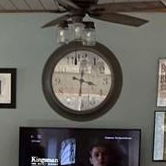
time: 3:30
